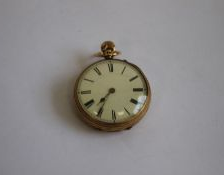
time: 7:35
